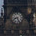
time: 8:26
